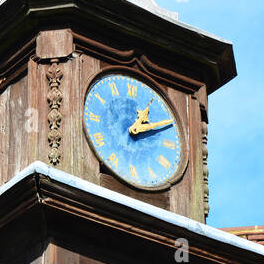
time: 1:10
